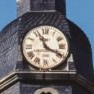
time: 11:19
